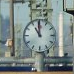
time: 10:59
